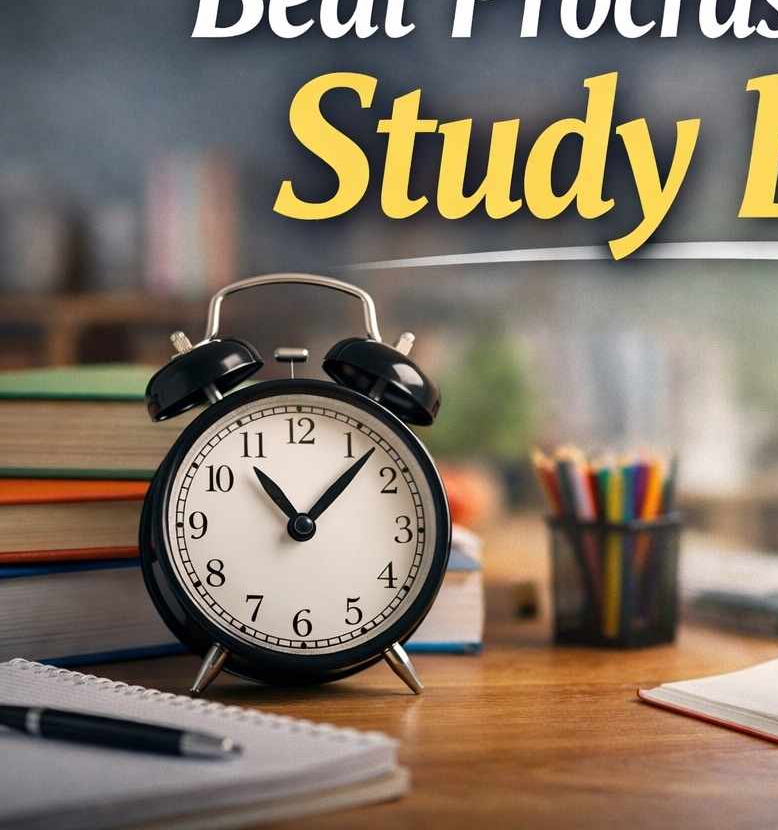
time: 11:07
